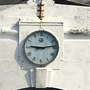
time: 9:13
